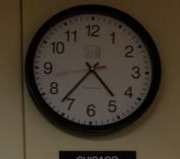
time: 4:36
